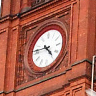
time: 4:46
